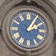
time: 2:05
